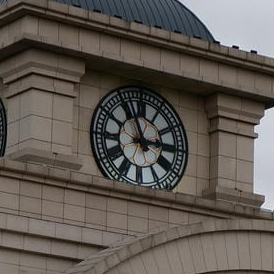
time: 2:56
